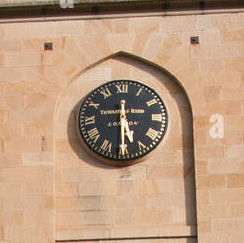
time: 5:30
